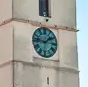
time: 1:46
